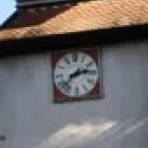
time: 2:38
